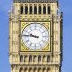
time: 9:45
